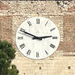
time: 2:48
